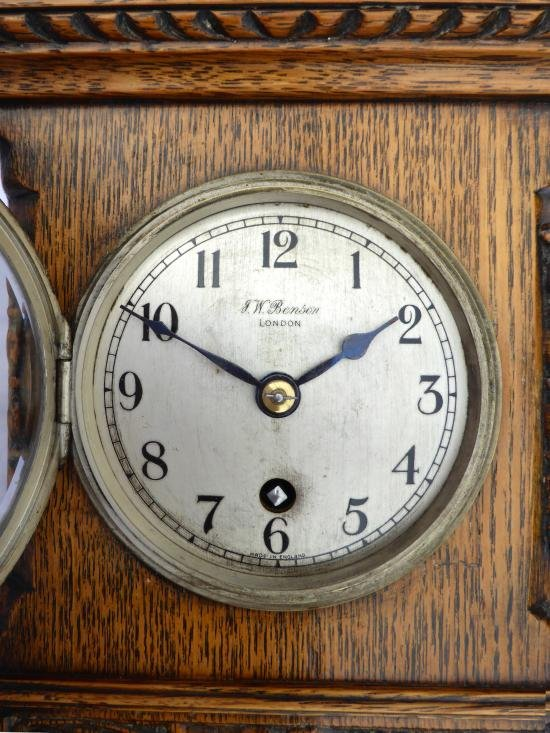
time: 1:49
